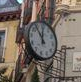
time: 11:53
